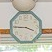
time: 3:45
